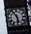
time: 5:54
